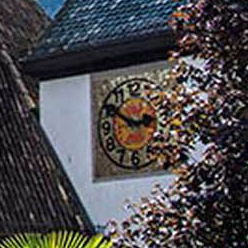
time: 2:50
